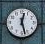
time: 12:27
